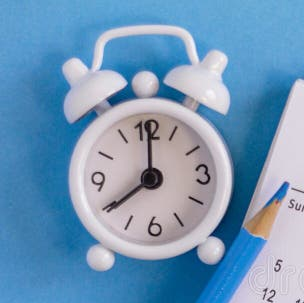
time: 8:00
